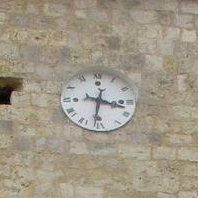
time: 3:31
